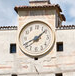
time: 1:40
